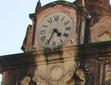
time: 4:34
